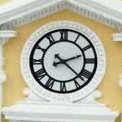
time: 2:21
